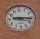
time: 9:16
